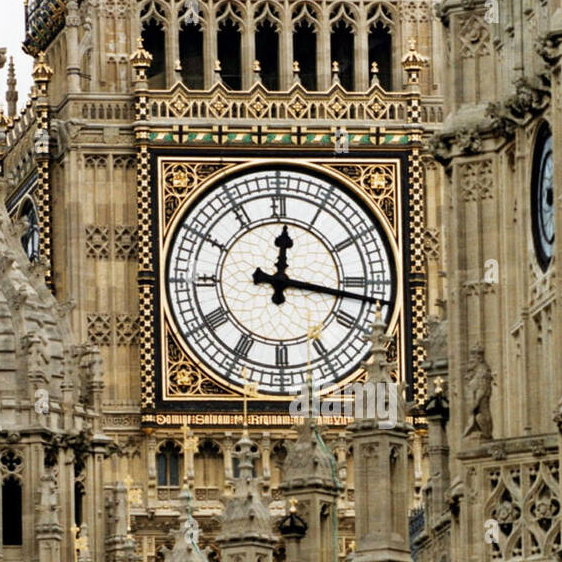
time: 12:16
